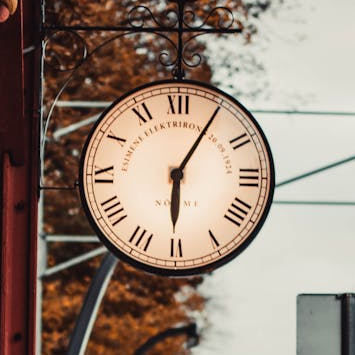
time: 6:05
